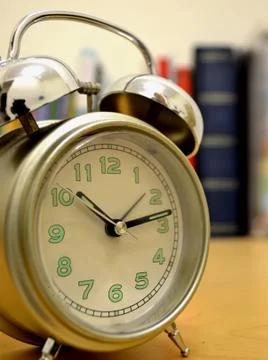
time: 10:13
